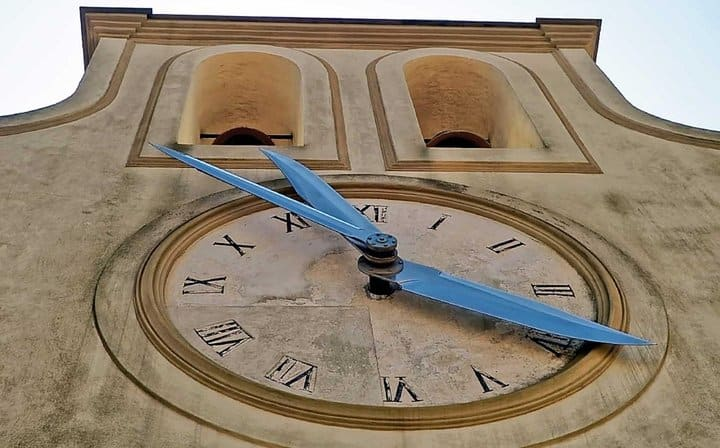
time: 12:19
